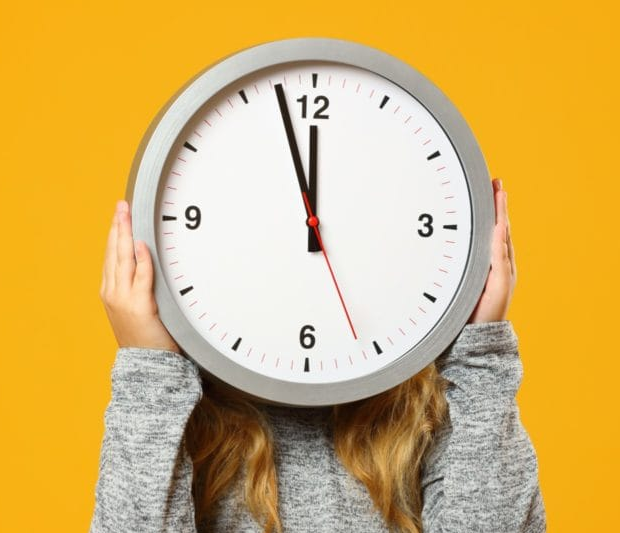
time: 11:57
